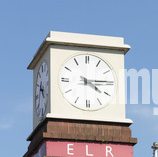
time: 4:14
